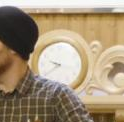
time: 9:38
